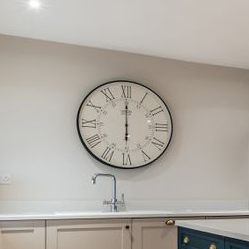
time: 6:00
